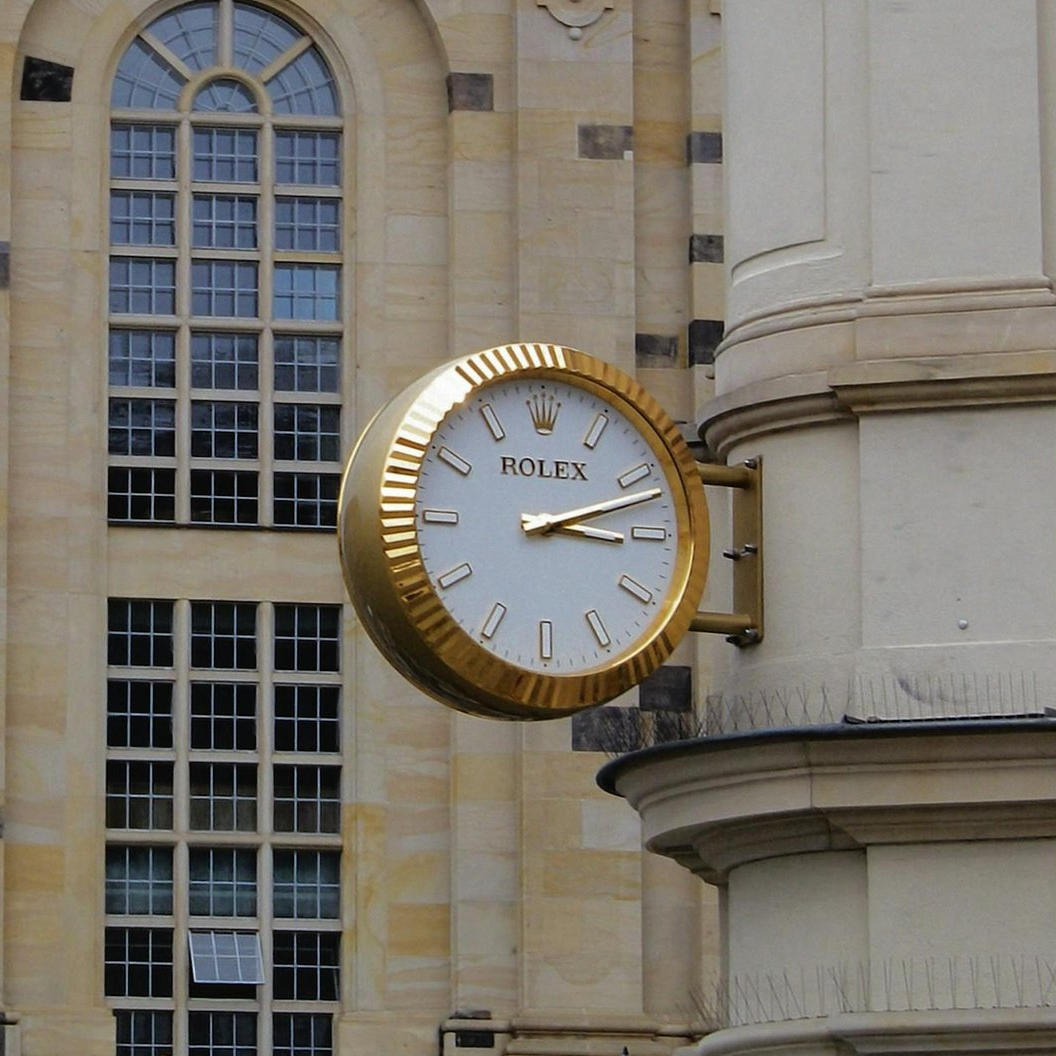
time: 3:11
